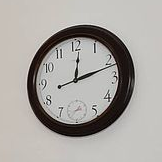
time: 12:11
